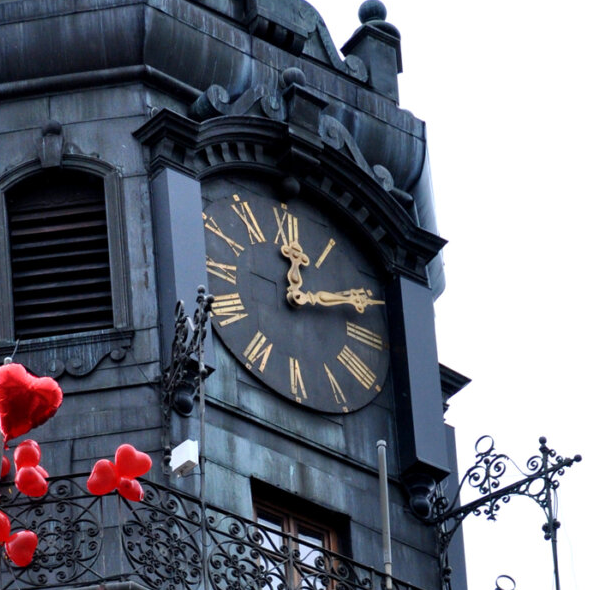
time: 12:11
